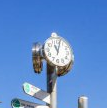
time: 11:02
